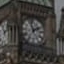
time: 1:56
